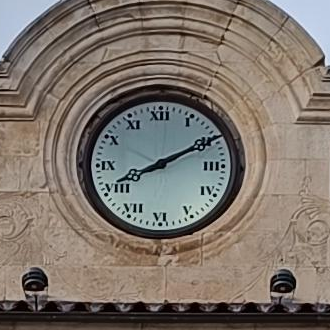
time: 8:10
